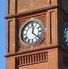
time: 12:21
